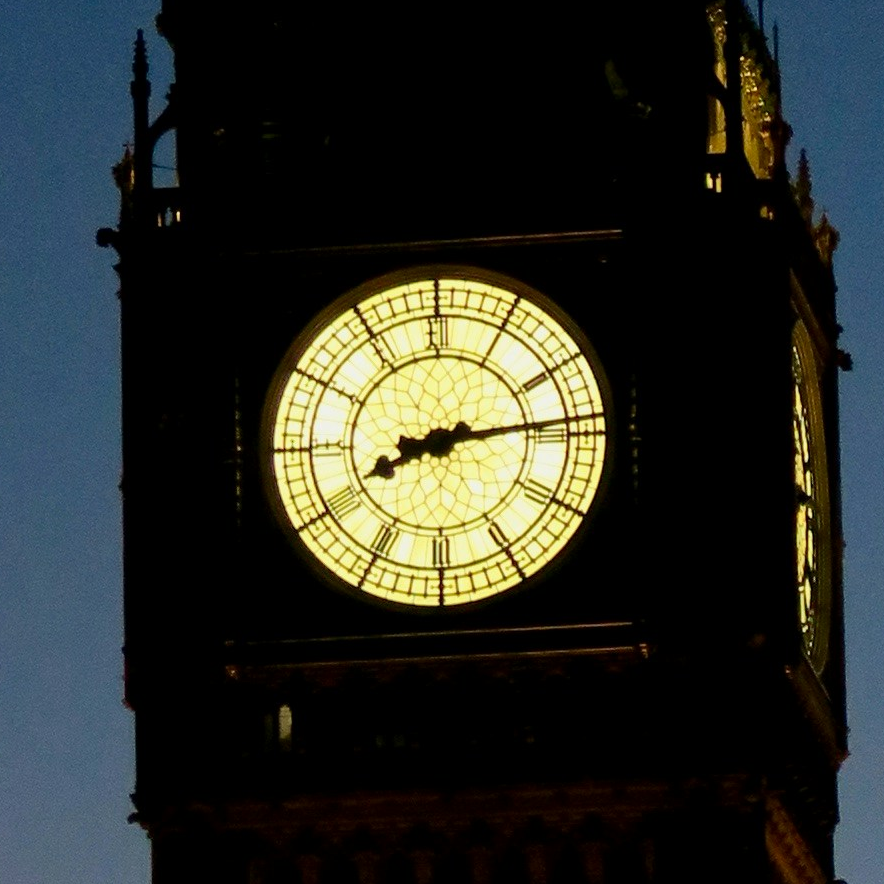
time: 8:13
